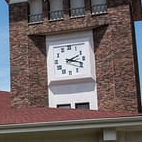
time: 2:18
